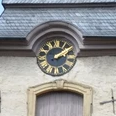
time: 2:09
